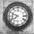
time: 9:40
